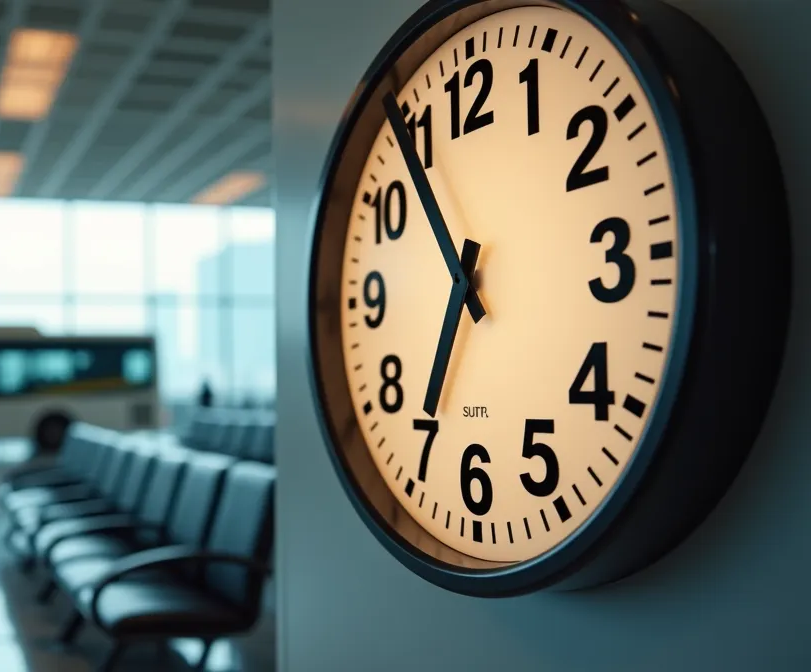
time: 6:54
